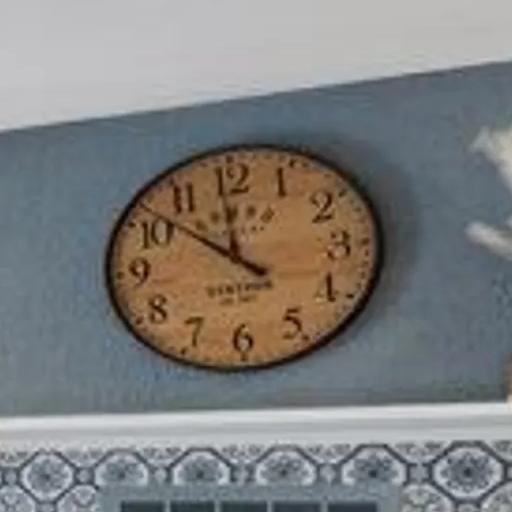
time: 11:51
